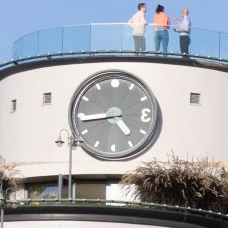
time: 4:44
